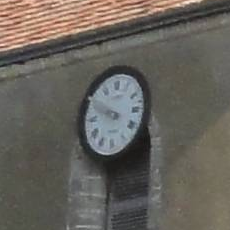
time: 9:48
